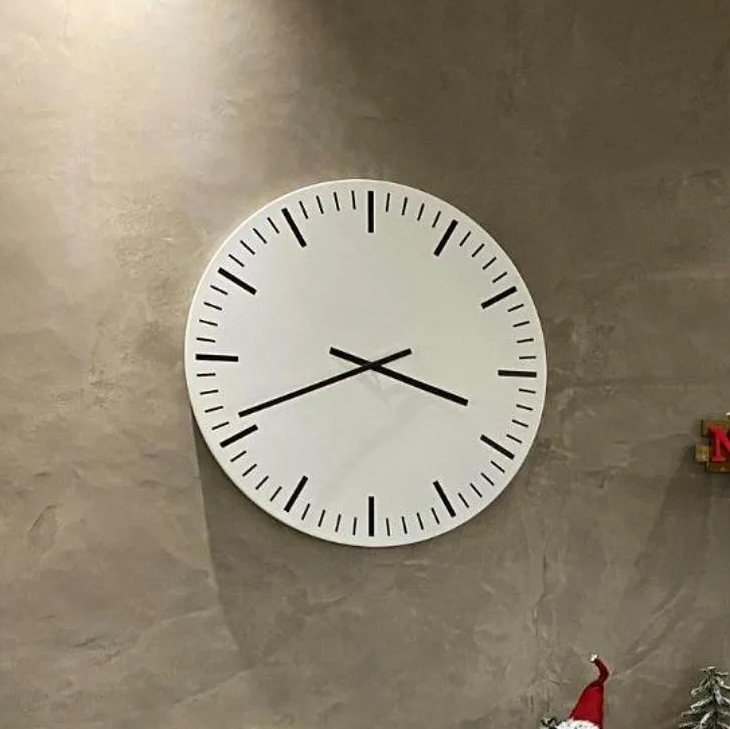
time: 3:41
